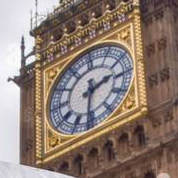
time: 2:31
